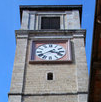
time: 3:40
